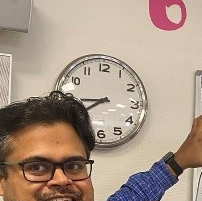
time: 7:44
